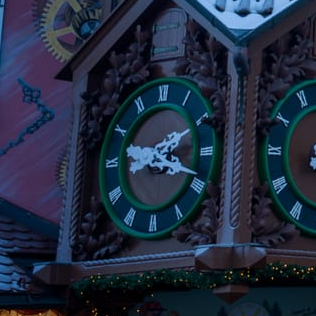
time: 2:18
